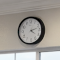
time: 4:12
